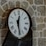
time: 12:28
